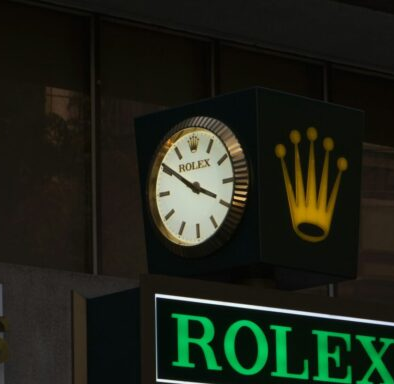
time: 3:50
